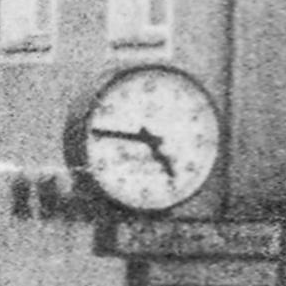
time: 4:46
